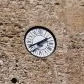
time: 1:40
